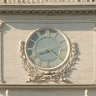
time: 8:21
